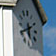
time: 5:41
